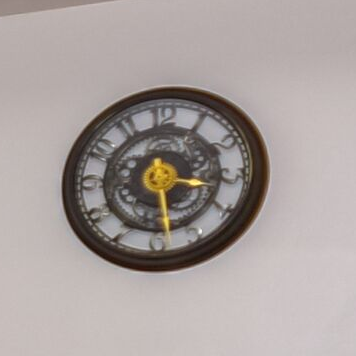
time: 3:28
